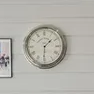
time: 1:30
